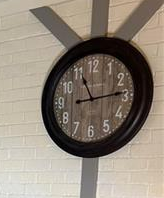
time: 11:14
